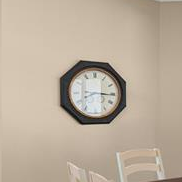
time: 8:15
